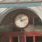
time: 11:12
